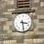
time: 3:28
